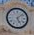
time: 5:08
